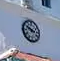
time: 2:48
